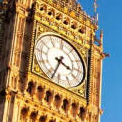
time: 3:33
